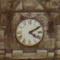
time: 4:10
